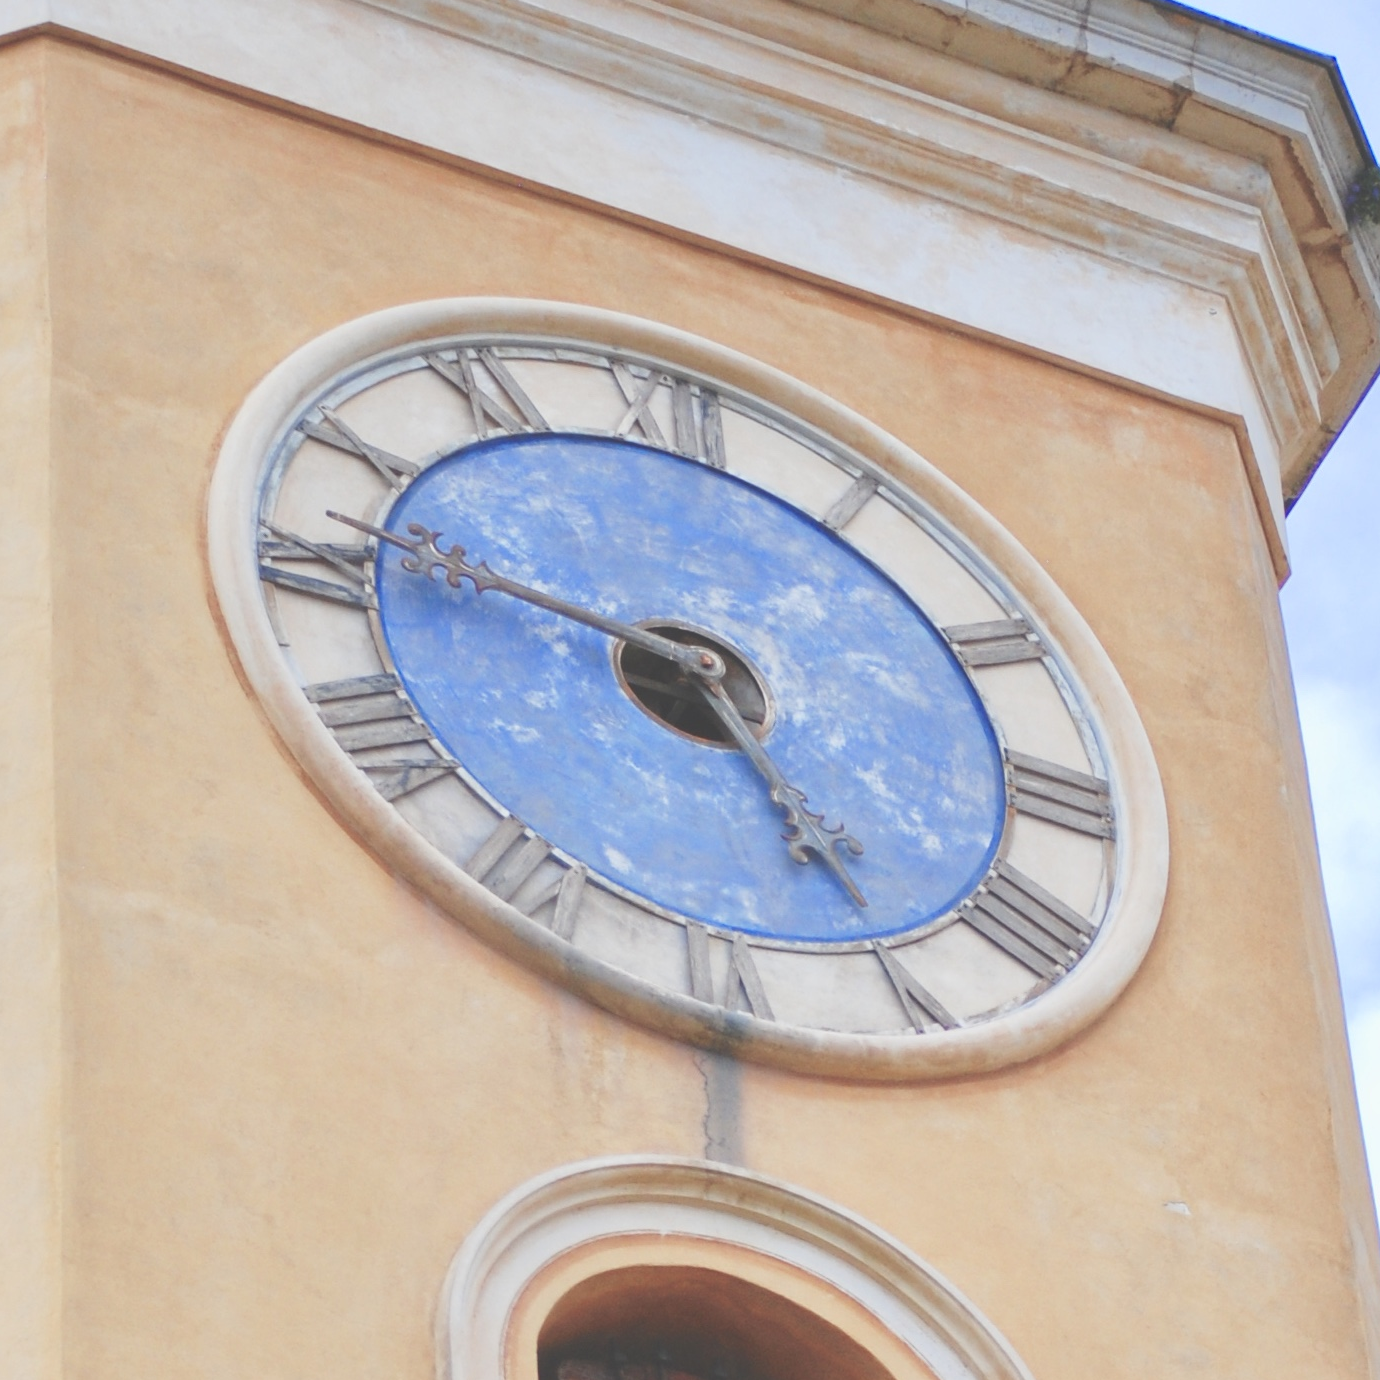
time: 4:46
